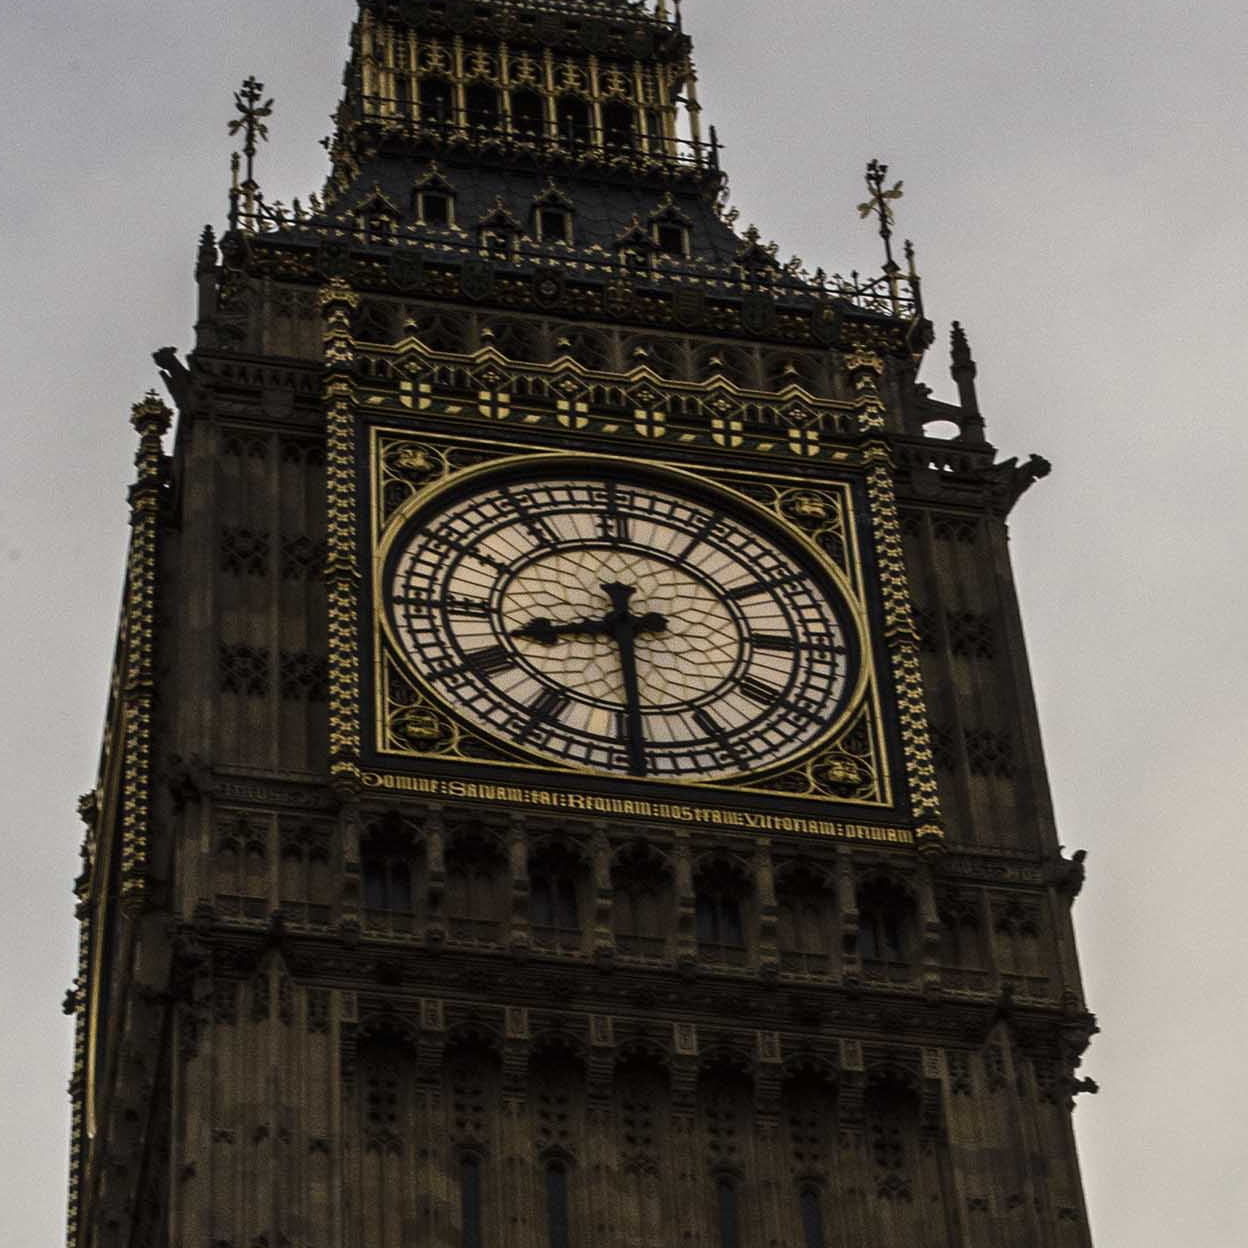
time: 8:29
